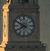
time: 7:49
